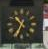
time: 10:34
